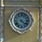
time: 4:21
